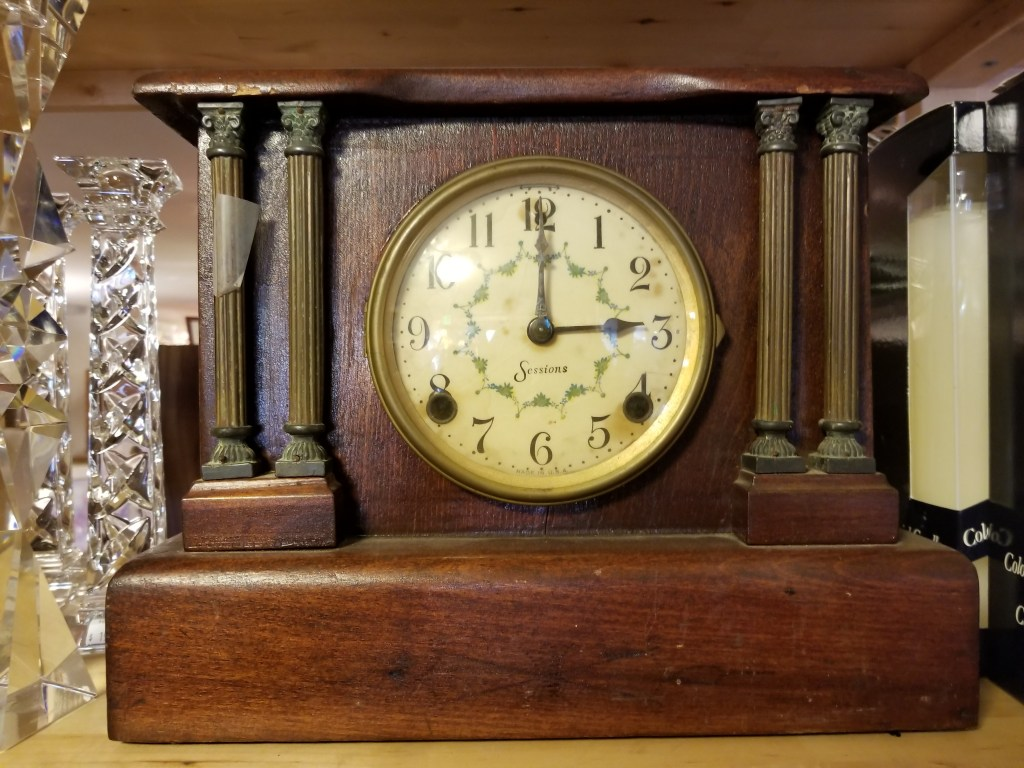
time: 3:00
